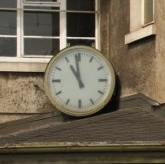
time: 10:58
